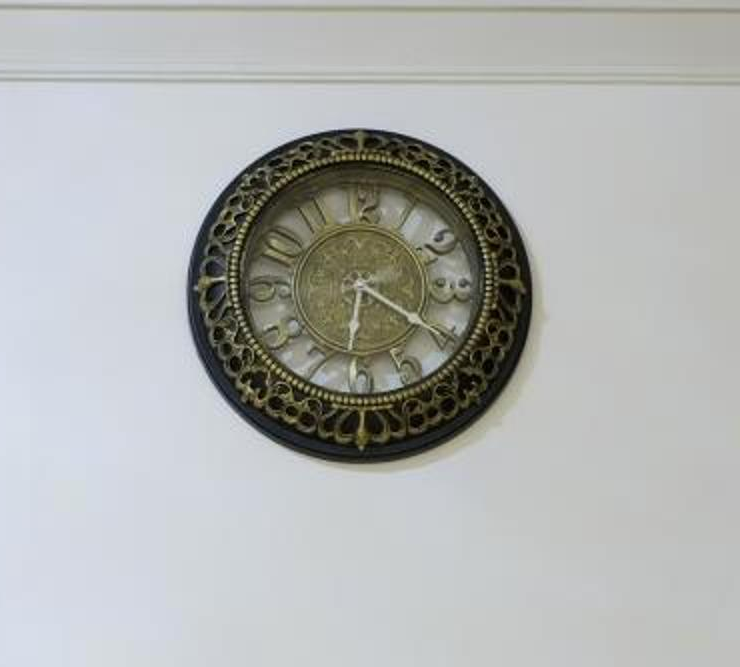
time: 6:20
